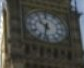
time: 10:32
